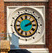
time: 2:09
